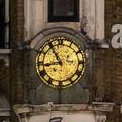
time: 8:54
